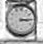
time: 3:14
